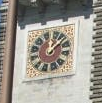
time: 12:07
